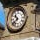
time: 10:37
